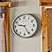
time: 9:25
